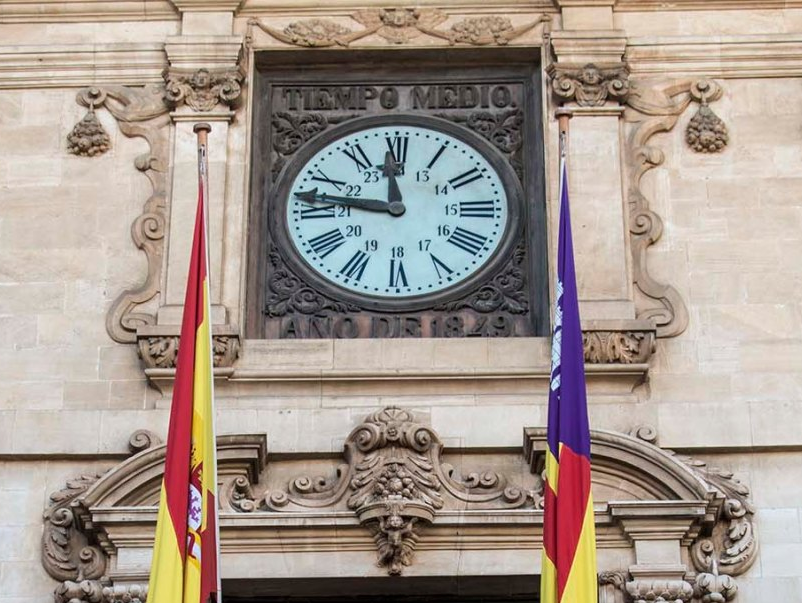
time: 11:46
